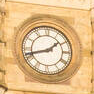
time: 1:42
